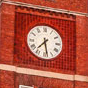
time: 7:28
